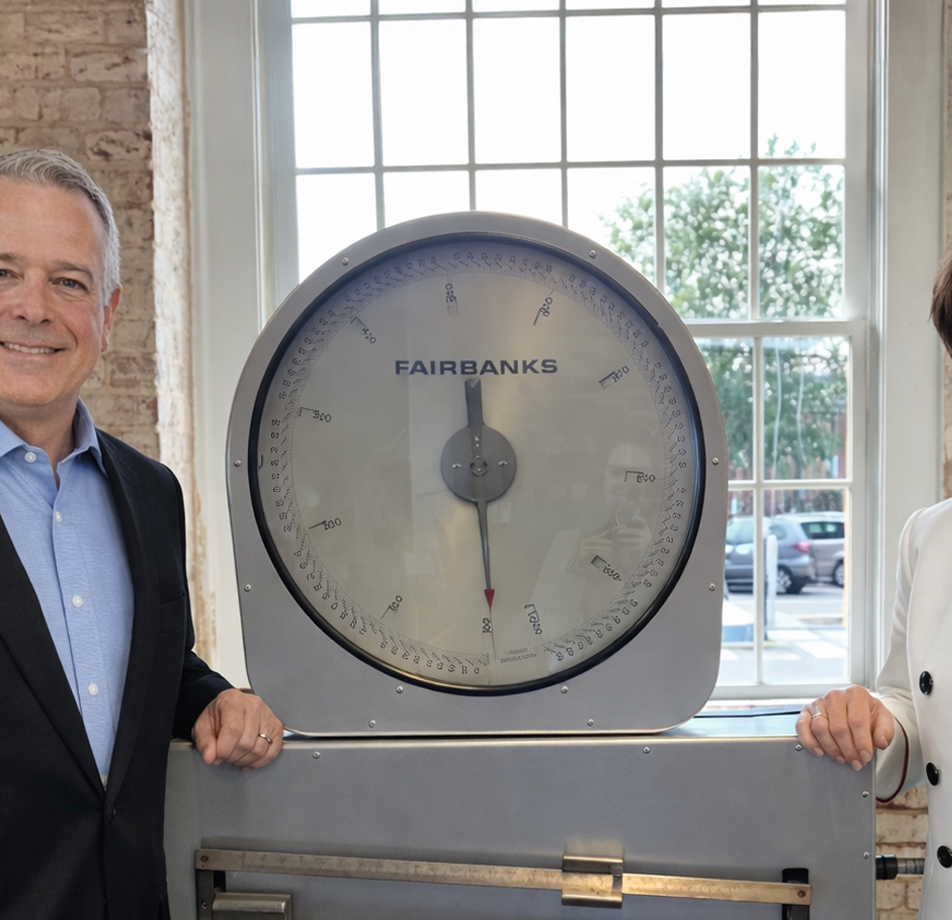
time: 11:28
